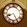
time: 8:25
